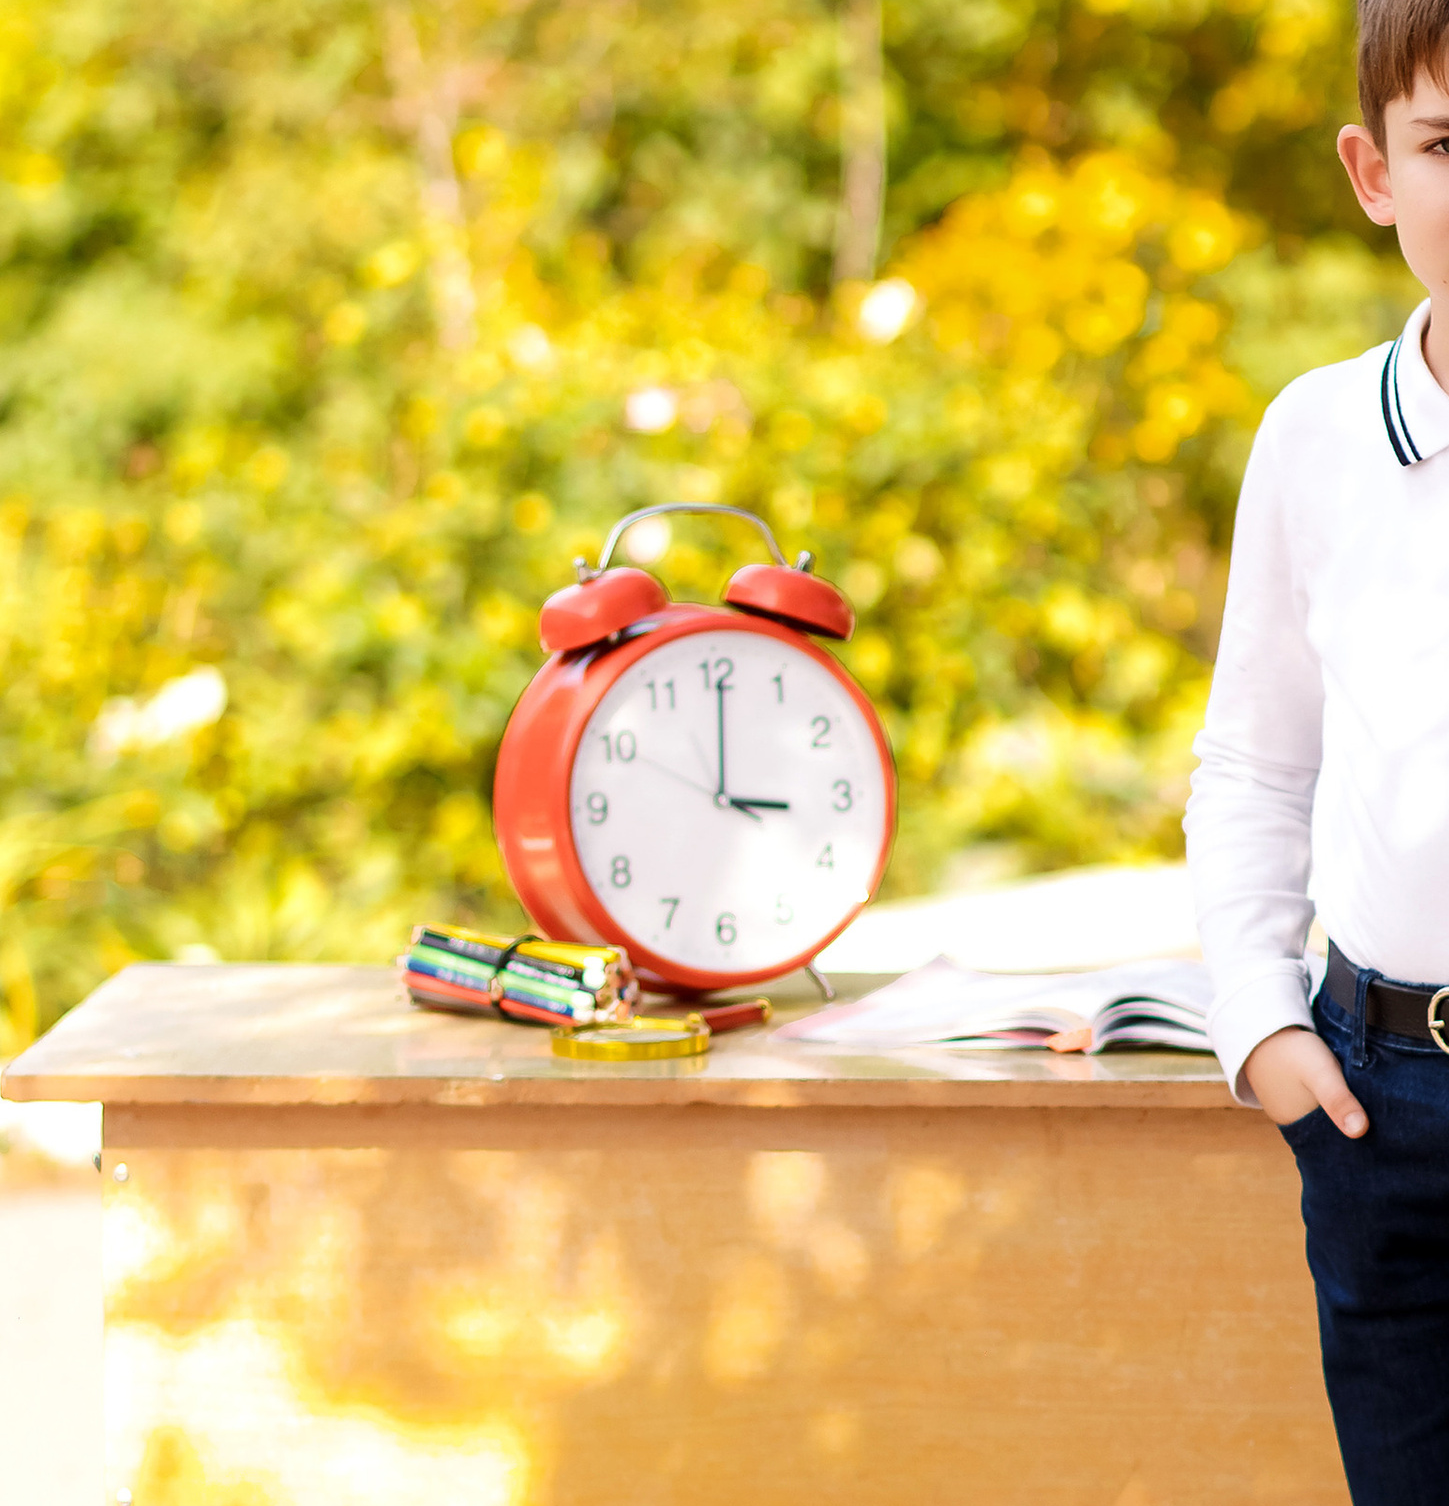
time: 3:00
